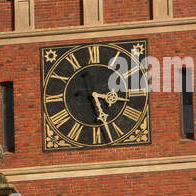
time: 3:27
